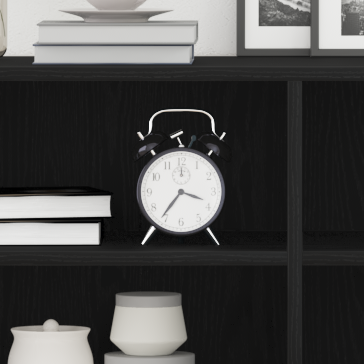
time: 3:36
